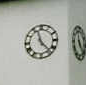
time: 11:22
